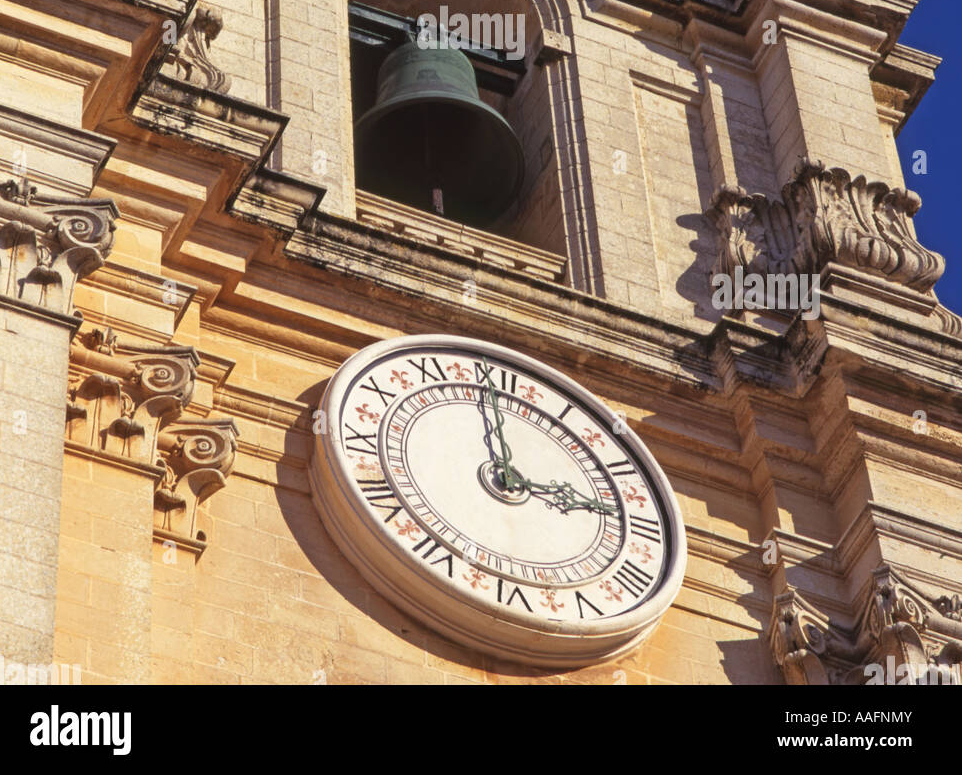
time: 2:58
